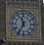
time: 11:35
